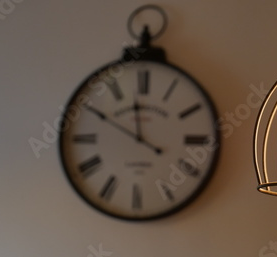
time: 11:49
